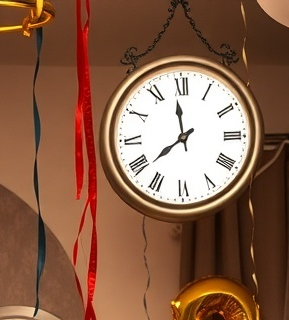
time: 11:38
